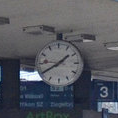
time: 1:39
